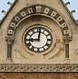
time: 9:01
